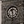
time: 11:28
